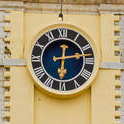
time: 6:13
